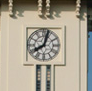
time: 8:02
